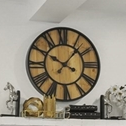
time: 10:07
